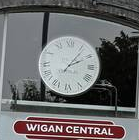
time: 2:06
